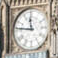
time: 11:46
